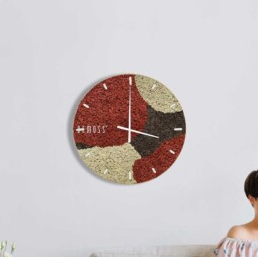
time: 4:00
